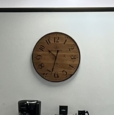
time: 10:32
